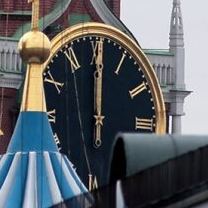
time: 12:00
